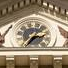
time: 2:35
